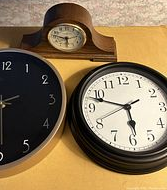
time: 5:47
